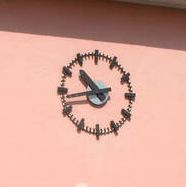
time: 10:43
